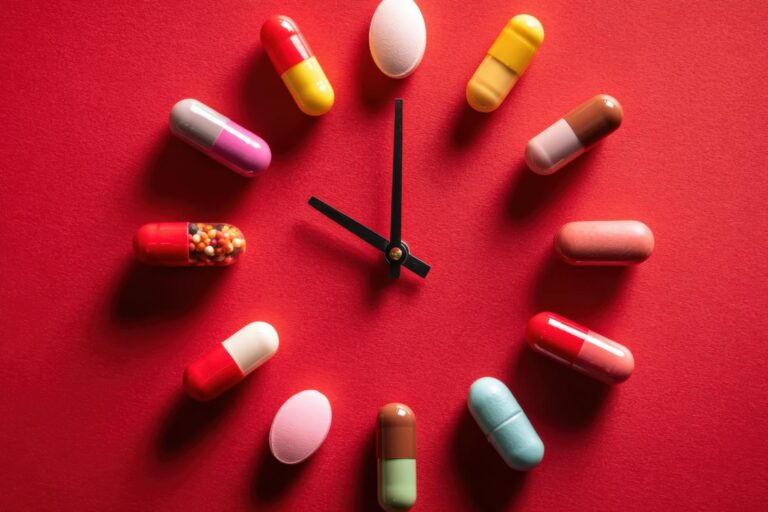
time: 10:00
